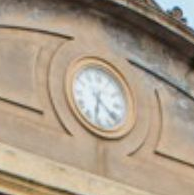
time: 6:21
